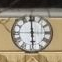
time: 5:59
